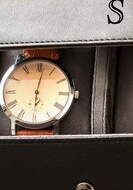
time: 6:01
